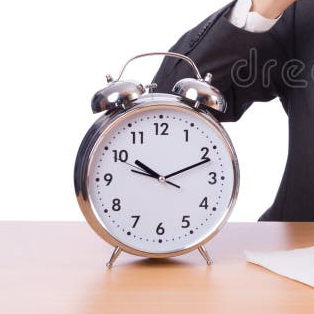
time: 10:11
